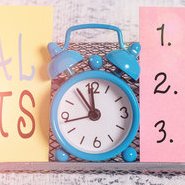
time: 11:54
